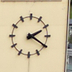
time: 2:20
